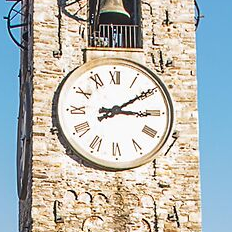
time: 3:09
